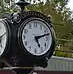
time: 5:12
